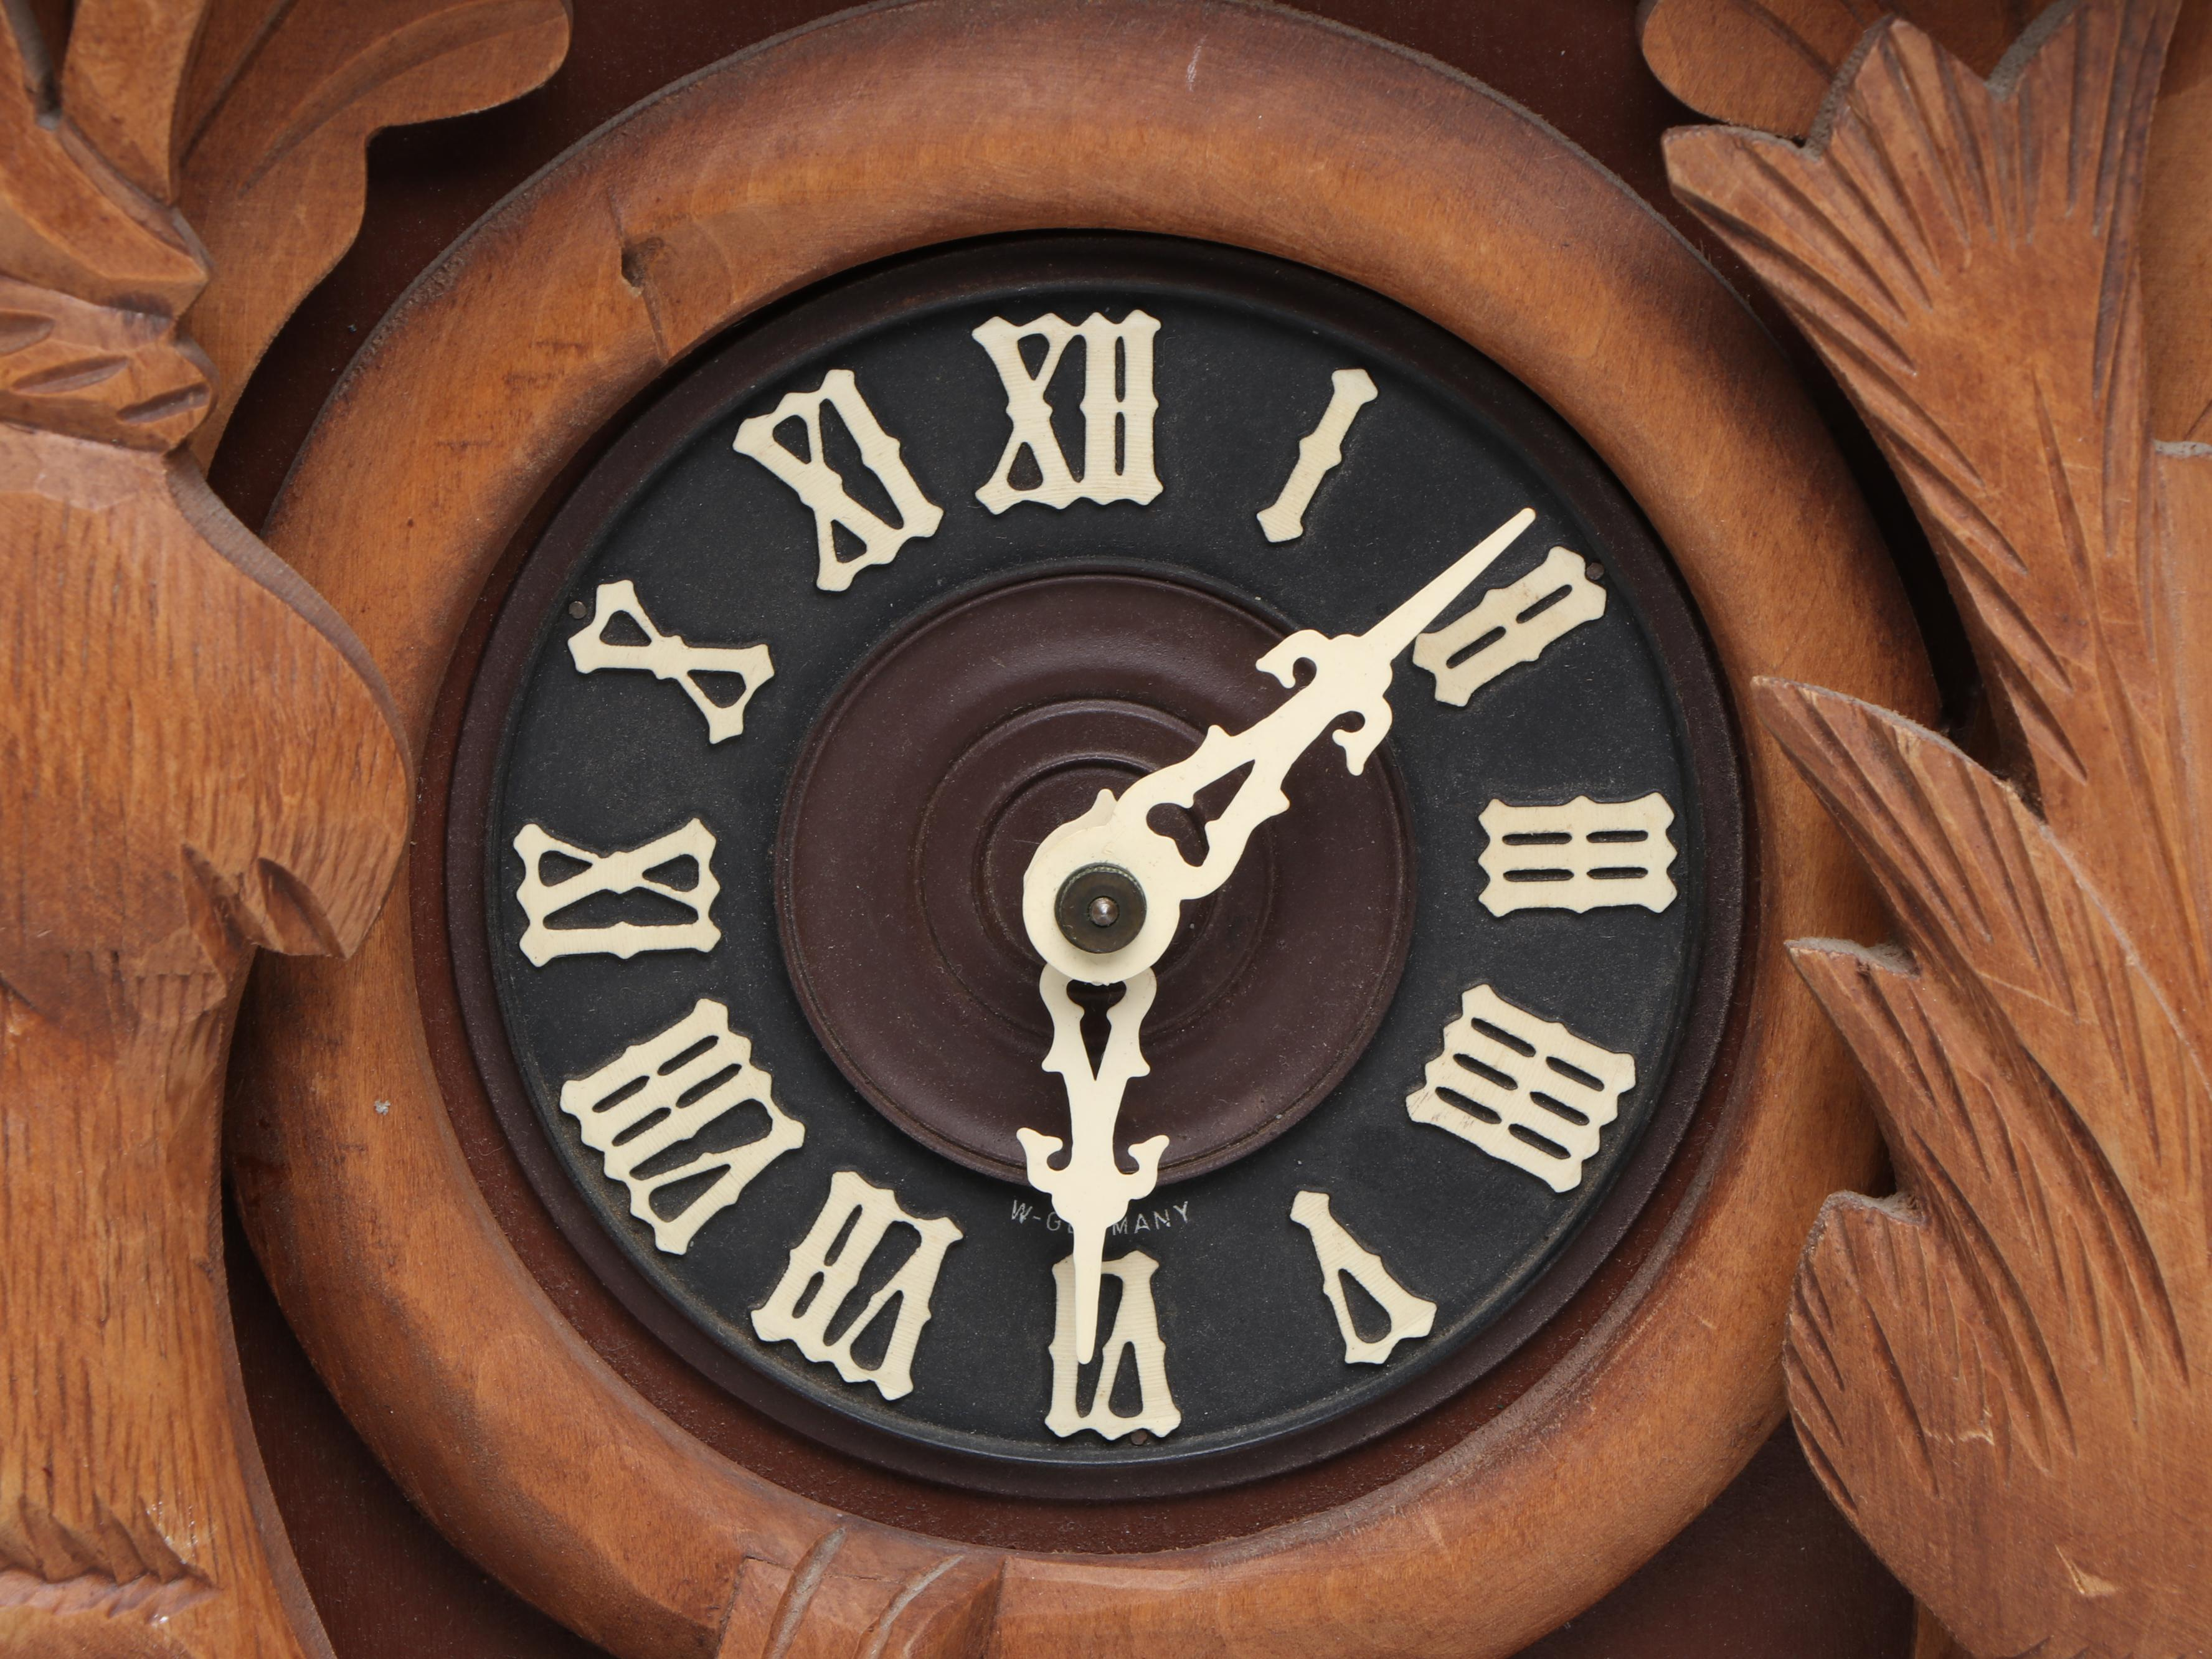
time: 6:08
